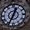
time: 12:34
